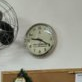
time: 9:20
